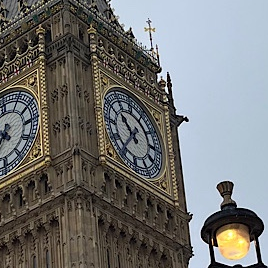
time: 10:36
